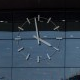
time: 3:58
